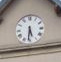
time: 5:31
